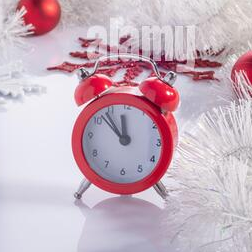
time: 11:52
